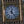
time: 12:23
